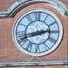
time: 2:42
